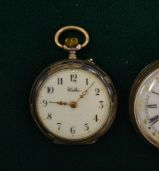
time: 9:07
